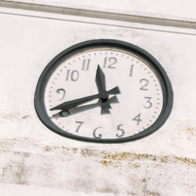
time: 11:40
